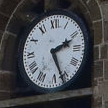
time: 2:26
